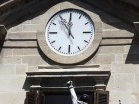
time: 11:54
